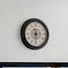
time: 11:30
